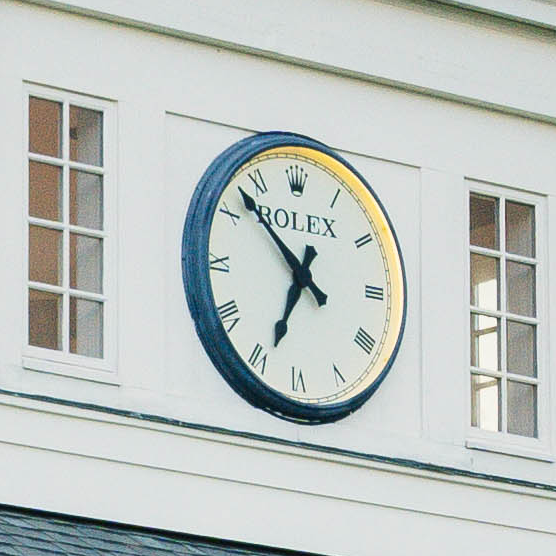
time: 6:52
